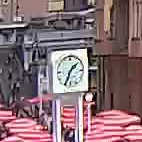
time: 1:34
